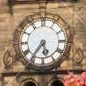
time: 5:36
